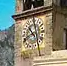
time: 10:41
